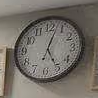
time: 5:02
